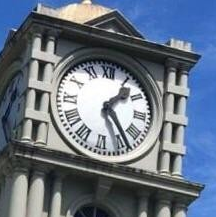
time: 1:24
